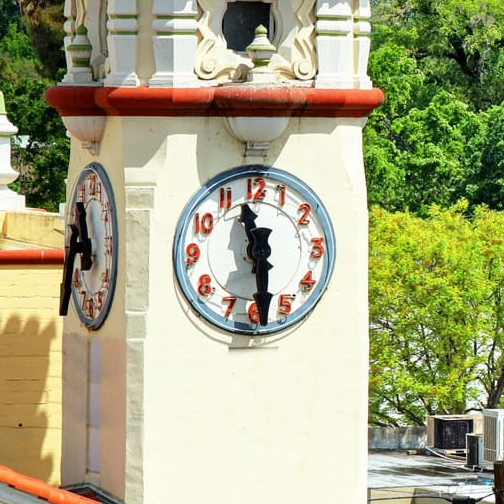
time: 11:29
